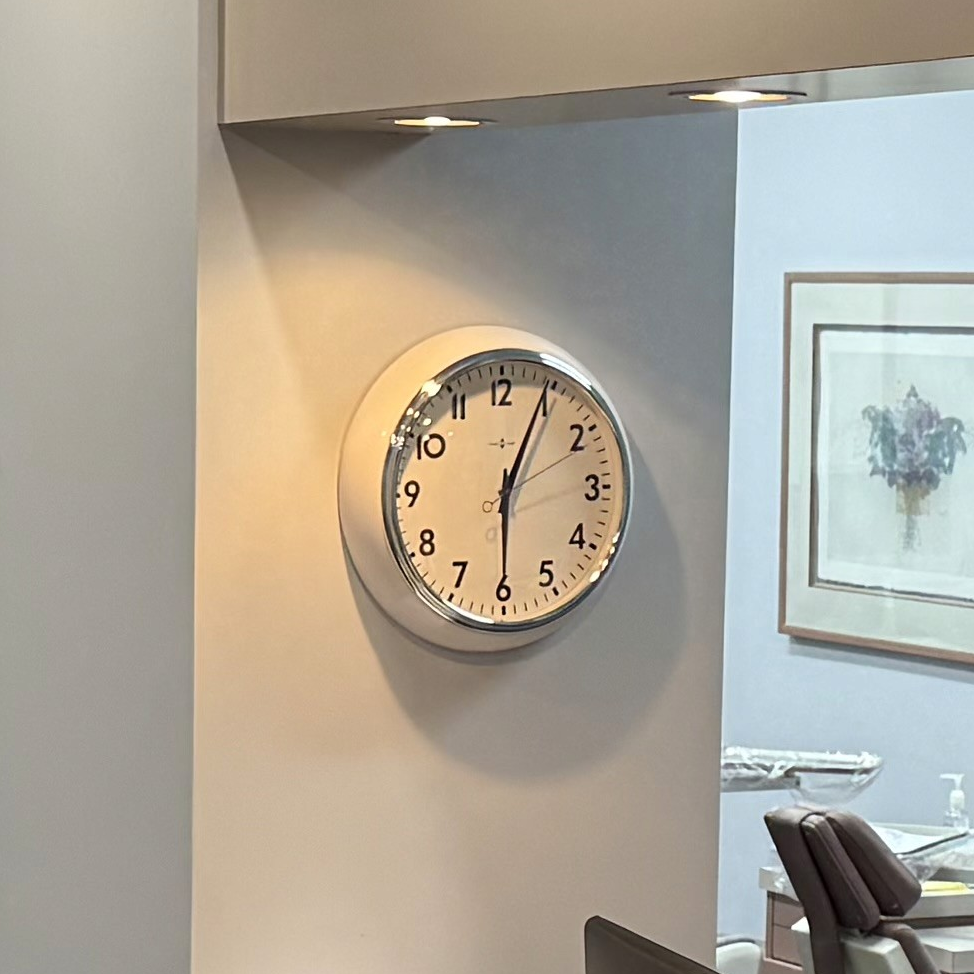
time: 6:04
